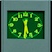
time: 5:30
